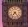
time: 7:23
